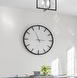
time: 2:55
